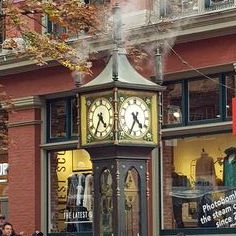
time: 4:34
